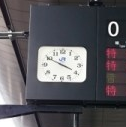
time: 3:49
